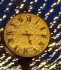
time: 5:14
